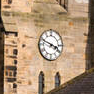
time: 3:48
